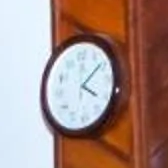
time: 4:08
